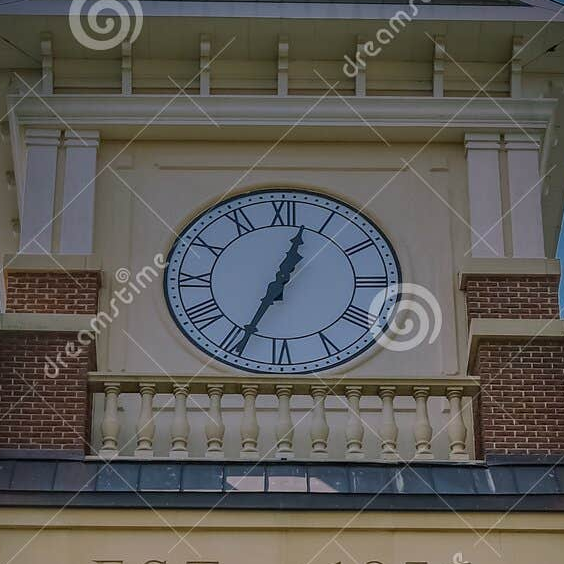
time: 12:34
